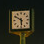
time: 5:50
